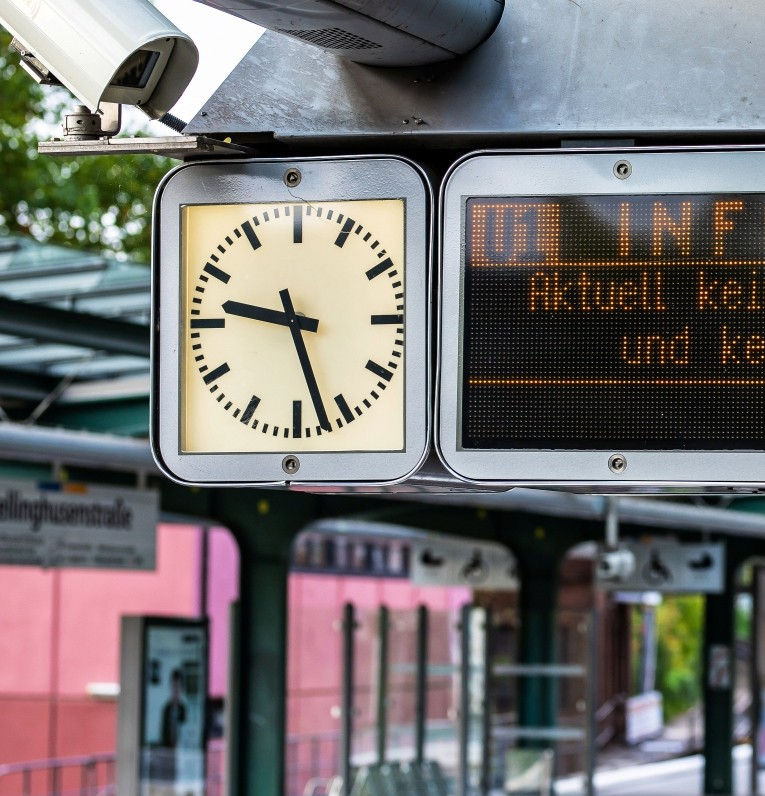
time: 9:27
